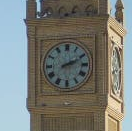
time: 2:11
